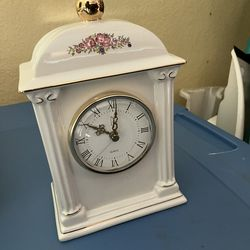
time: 10:01
